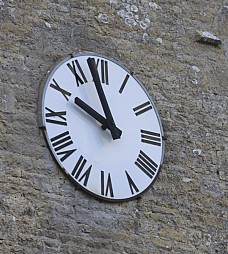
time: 9:57
